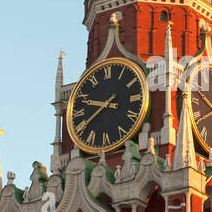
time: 9:39
